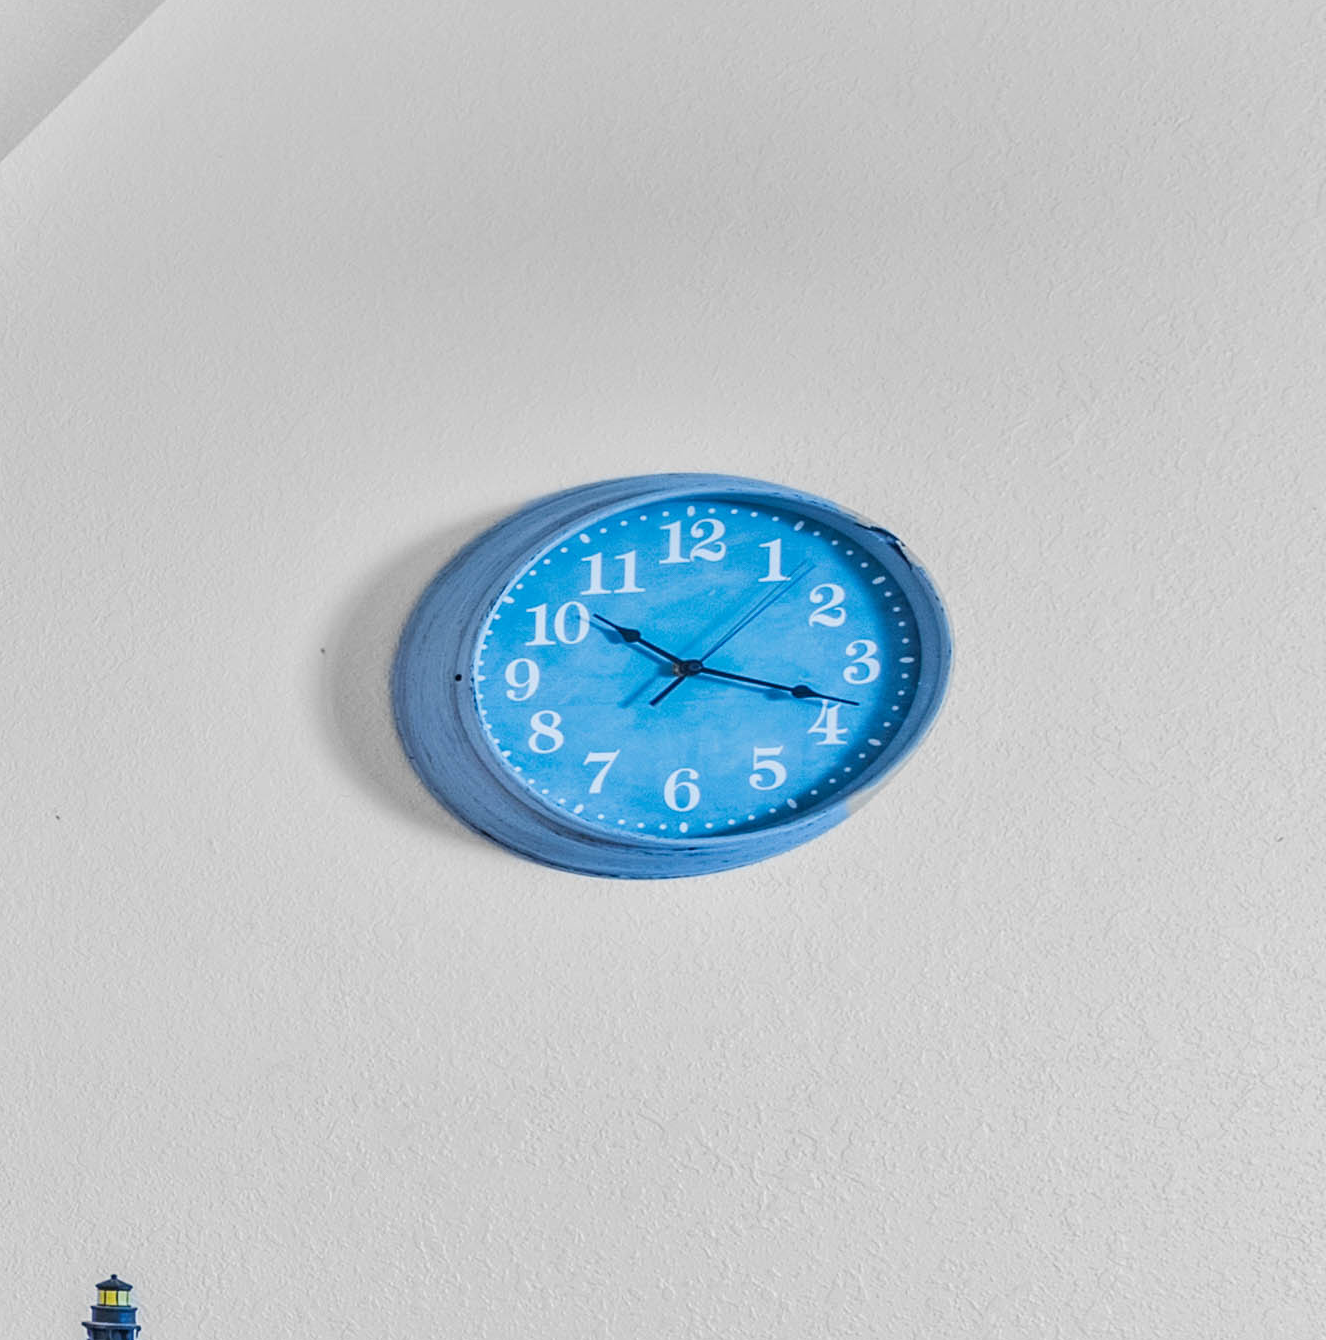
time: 10:18
